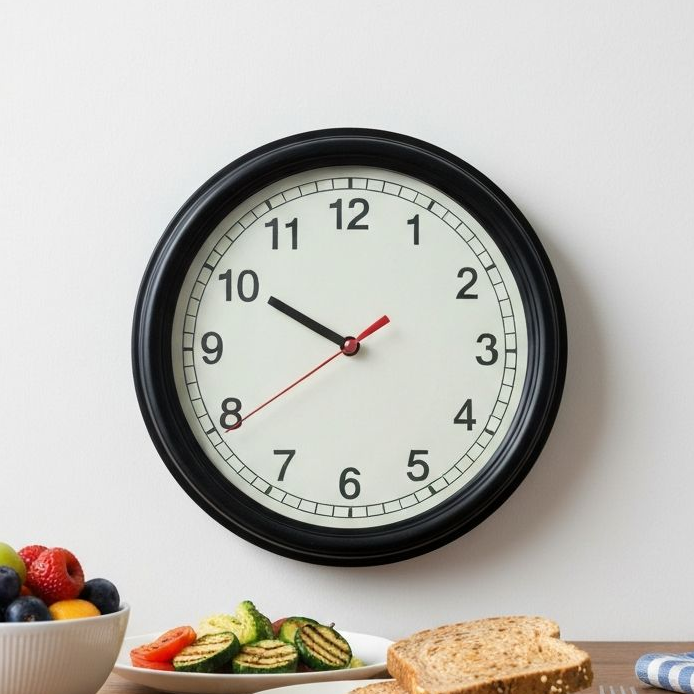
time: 9:50
